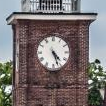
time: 4:26
